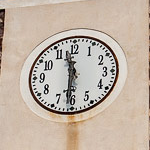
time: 11:30
